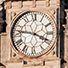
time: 3:46
